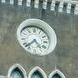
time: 4:37
